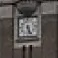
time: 5:26
